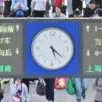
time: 5:21
